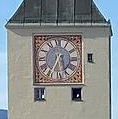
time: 5:34
